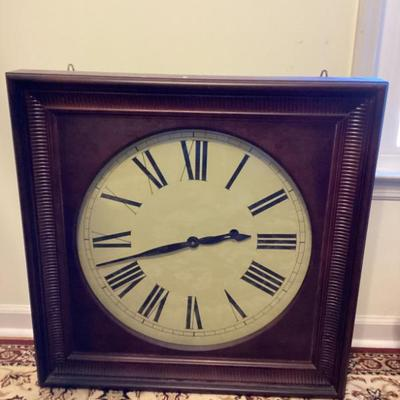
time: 2:42
